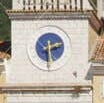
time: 2:29
